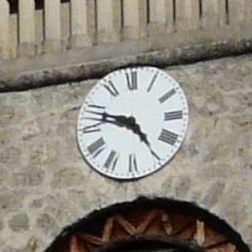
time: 4:48
